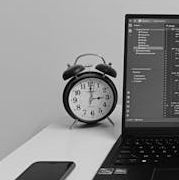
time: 3:00
